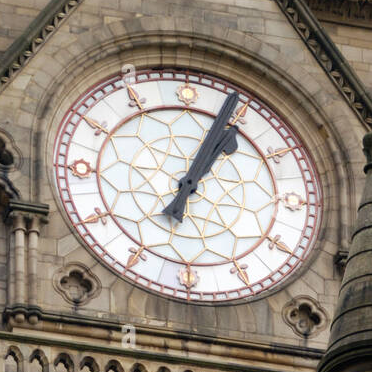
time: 1:04
